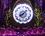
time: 8:07
